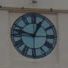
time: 12:47
